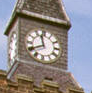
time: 11:40
